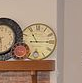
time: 11:14
